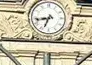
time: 6:43
